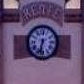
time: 6:32
